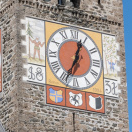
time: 12:34
